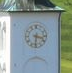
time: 3:31
